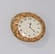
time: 12:22
